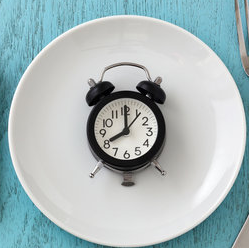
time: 8:00
